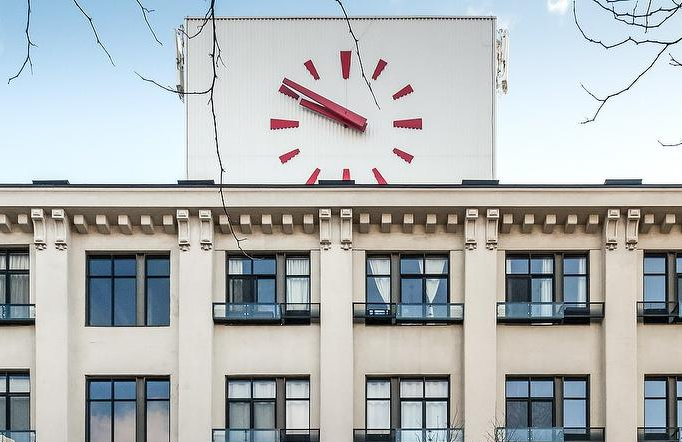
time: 9:50
